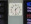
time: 1:28
